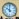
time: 10:00
